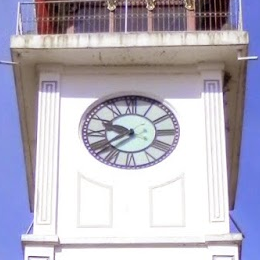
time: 9:38
